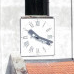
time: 10:18
